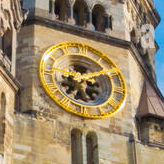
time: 5:09
